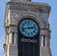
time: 2:42
